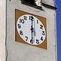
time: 6:00
